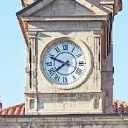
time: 7:48
